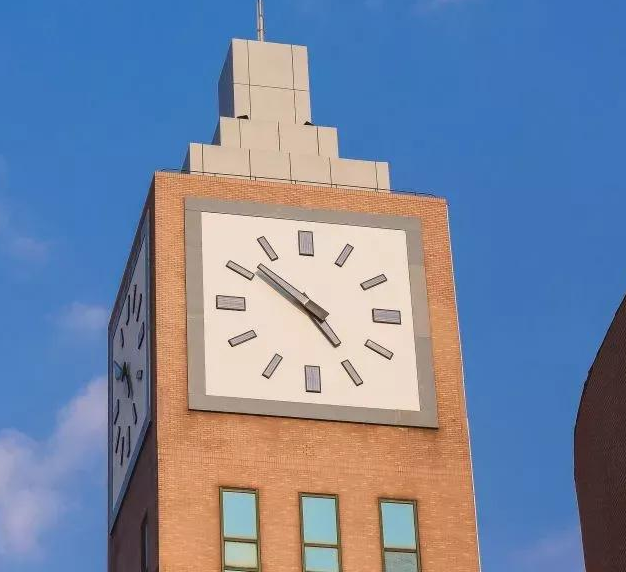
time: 4:51
